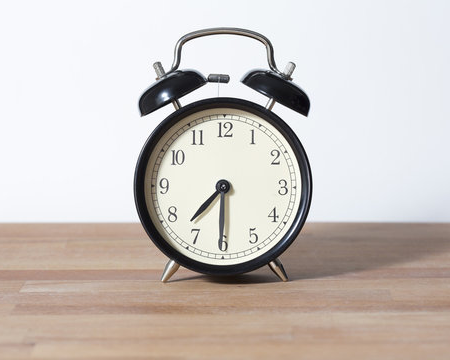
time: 7:30
